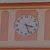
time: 3:26
